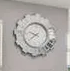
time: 9:38
